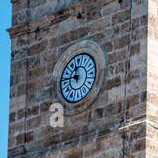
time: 11:46
